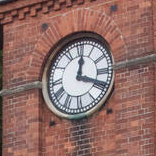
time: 12:18
